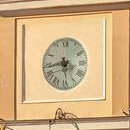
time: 5:43
